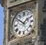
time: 1:51
